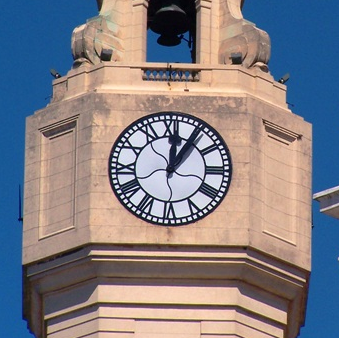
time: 12:05
